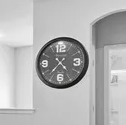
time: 4:36
